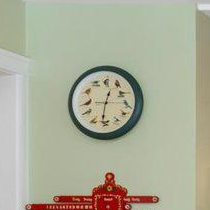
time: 12:31
